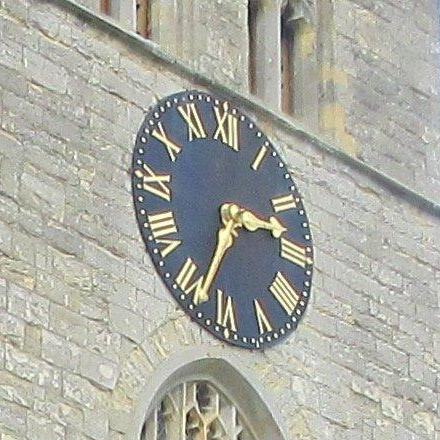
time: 2:33
